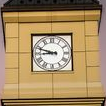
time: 8:48
